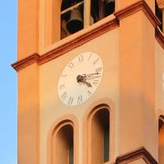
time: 4:16
